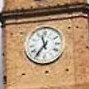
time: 11:36
